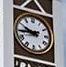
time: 9:44
